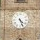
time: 4:26
